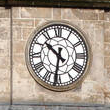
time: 10:31
